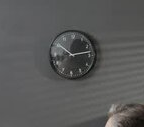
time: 10:13
